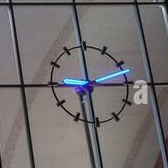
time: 2:58
